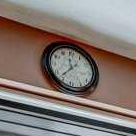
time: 11:36
